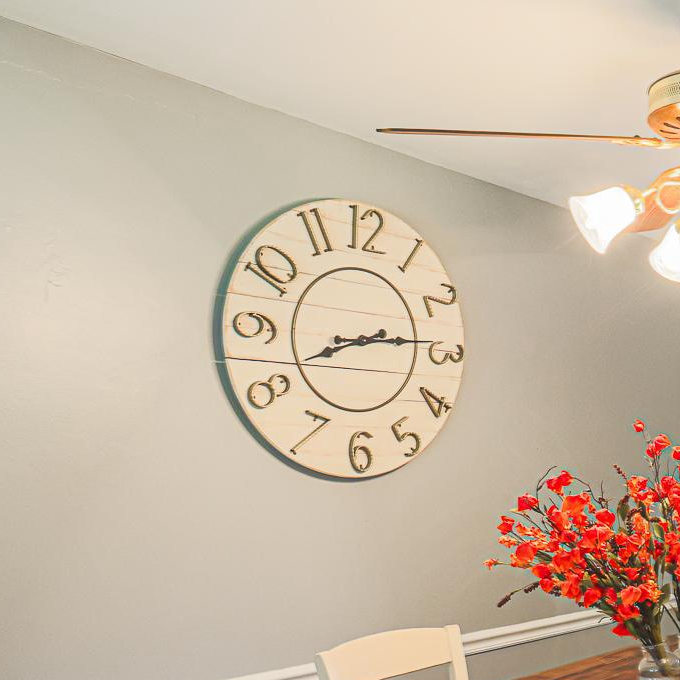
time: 8:14
